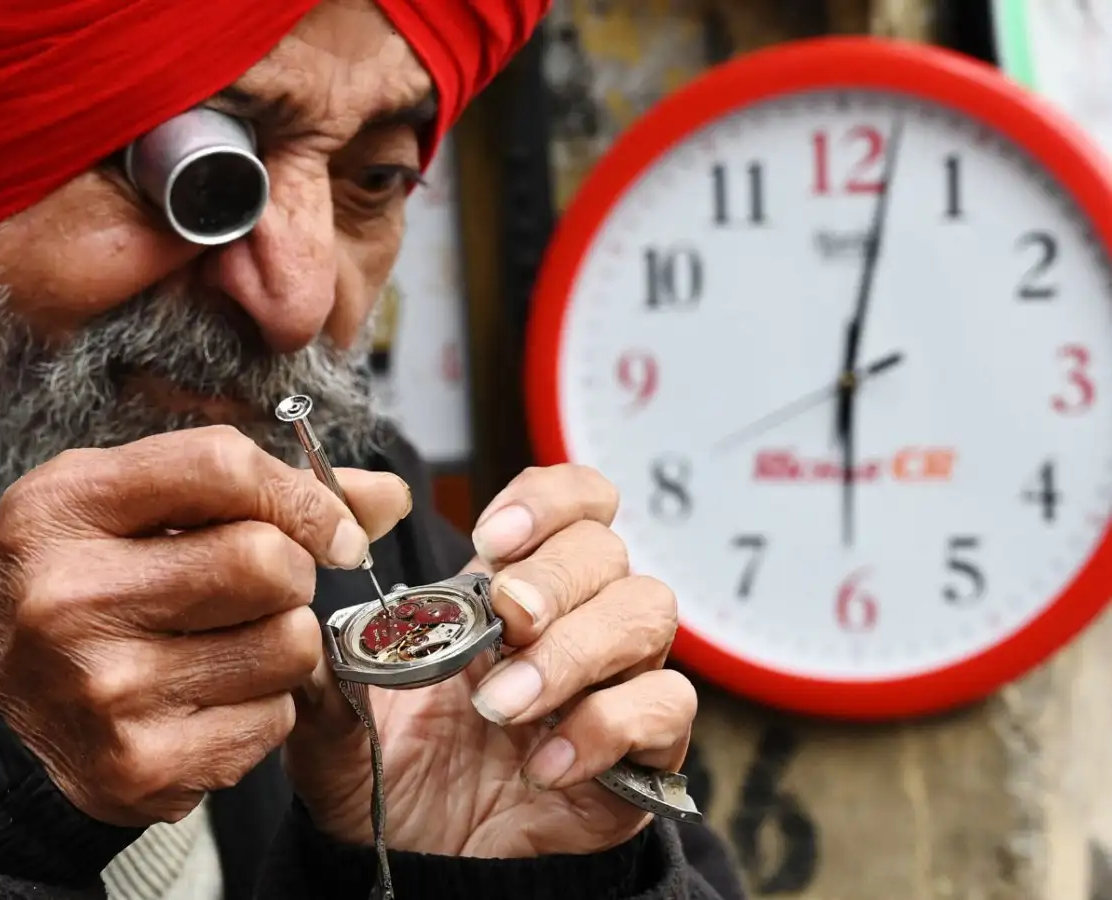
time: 6:02
